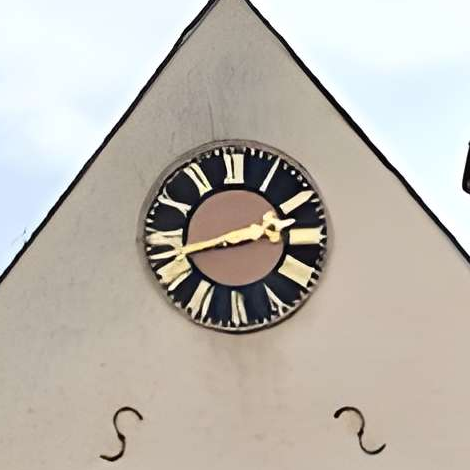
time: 2:42
